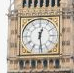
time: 12:28
